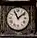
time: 11:08
